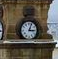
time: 3:04
